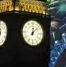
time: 12:07
